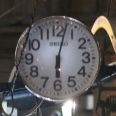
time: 6:02
